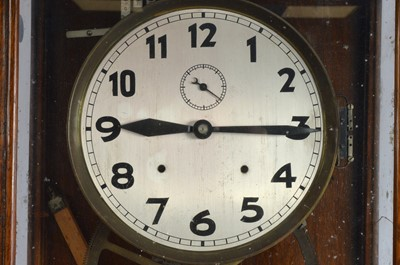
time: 9:15
